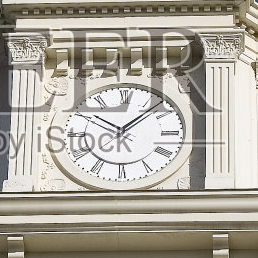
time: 10:07
